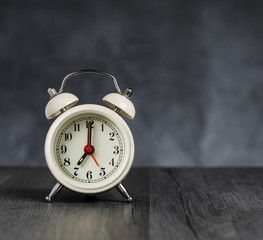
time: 7:00
